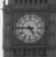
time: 4:45
